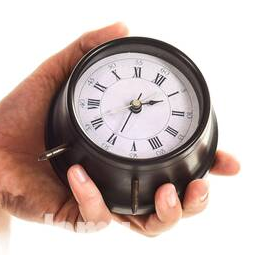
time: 2:34
